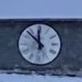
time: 11:52
